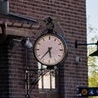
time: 5:37
